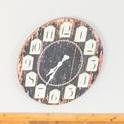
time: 7:36
